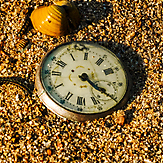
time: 4:20
